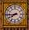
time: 7:44
